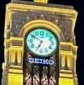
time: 6:50
